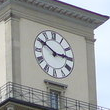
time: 2:50
